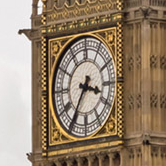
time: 3:35
